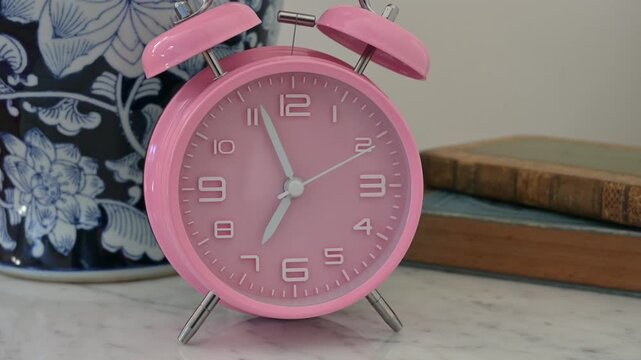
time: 6:56
